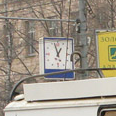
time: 12:57
